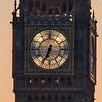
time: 6:34
